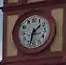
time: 1:32
